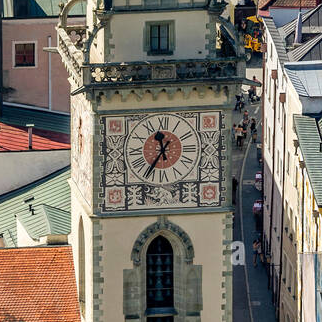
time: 11:35
